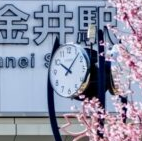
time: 10:07
